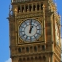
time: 1:01
